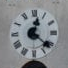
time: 12:21
